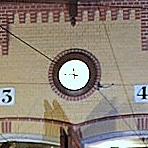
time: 11:46
